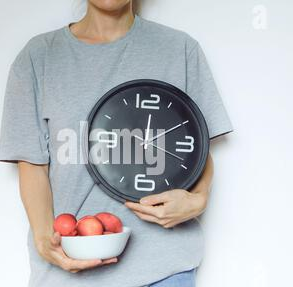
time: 12:10
